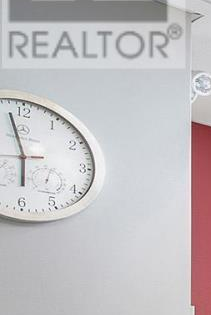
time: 5:57
